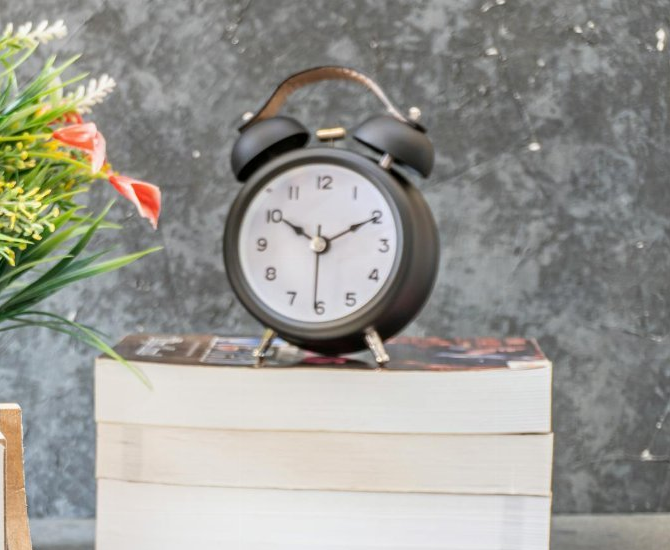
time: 10:10
